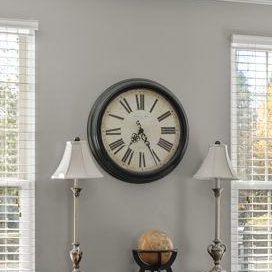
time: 7:25
